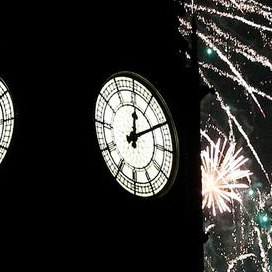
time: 12:09
